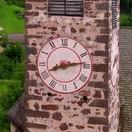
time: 8:13
